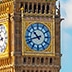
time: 10:42
